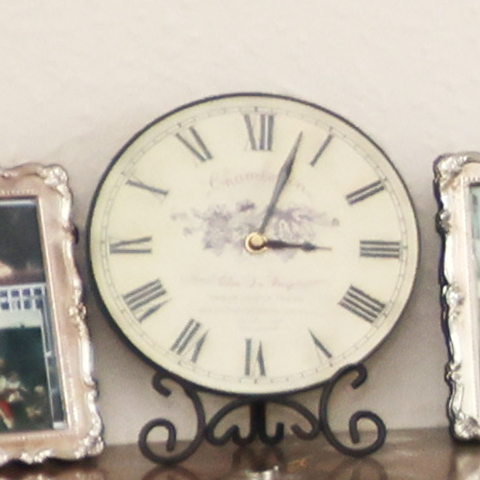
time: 3:03
